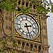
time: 2:27
